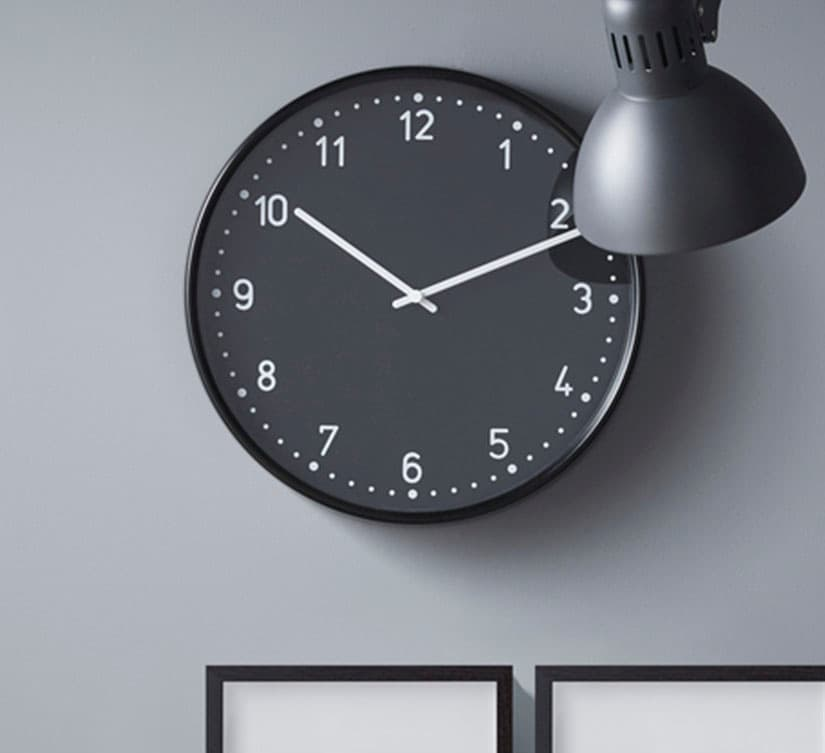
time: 10:11
